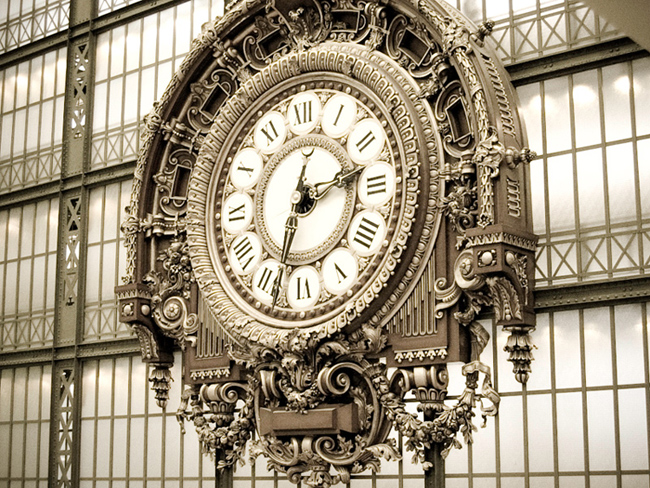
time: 2:32
